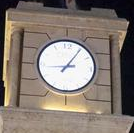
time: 1:05
